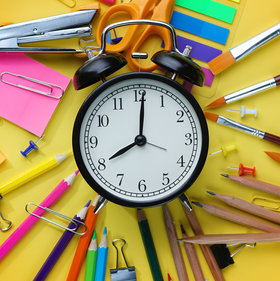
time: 8:00
